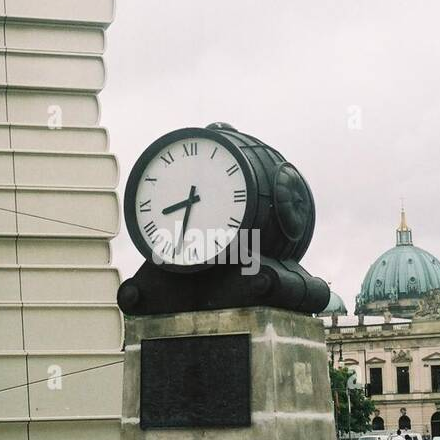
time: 8:33
